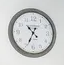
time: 10:34
